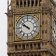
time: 9:51
